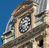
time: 8:12
